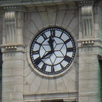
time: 11:39
